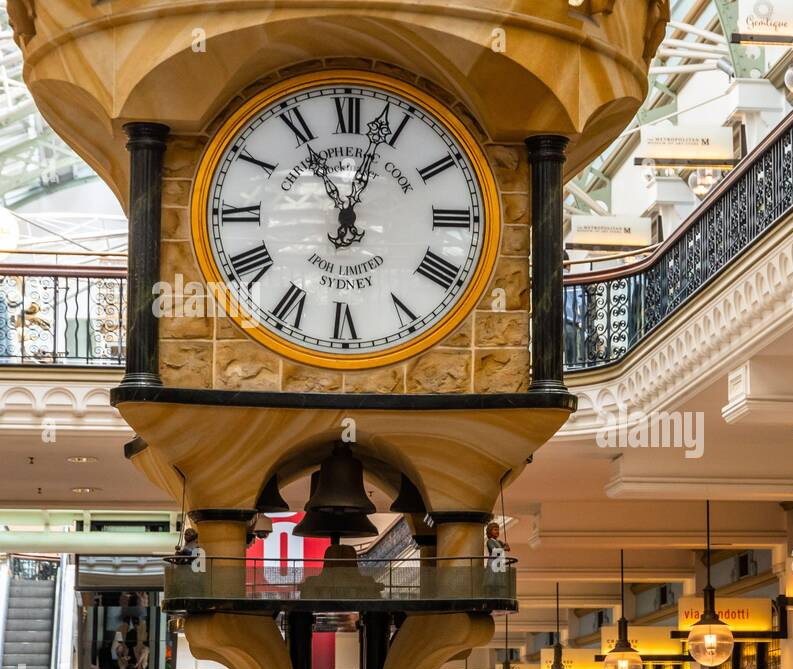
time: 11:02
